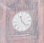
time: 11:22
